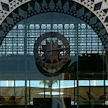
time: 12:13
